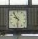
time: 9:53
